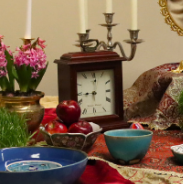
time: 9:01
